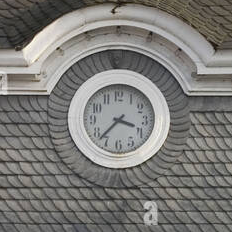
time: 3:37
